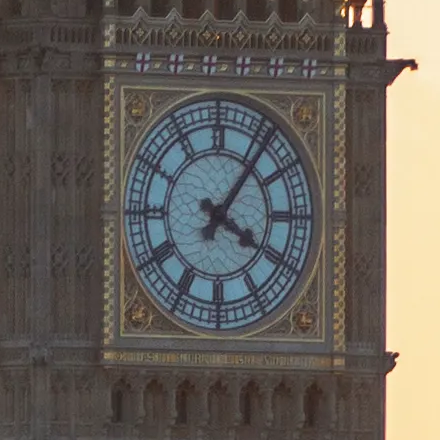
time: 4:06
